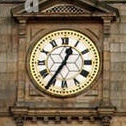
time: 12:35
